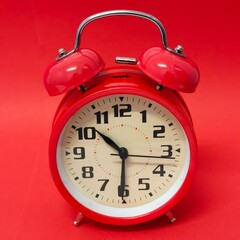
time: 10:30
